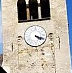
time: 4:18
